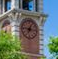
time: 6:46
